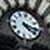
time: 4:16
